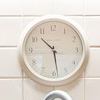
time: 10:28
